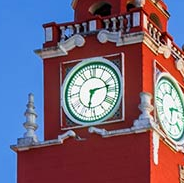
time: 6:13
